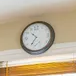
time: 10:36
